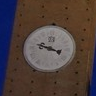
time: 3:47
